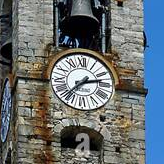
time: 2:37
